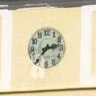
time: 7:13
